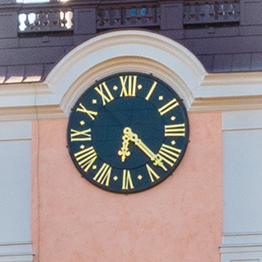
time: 6:21
